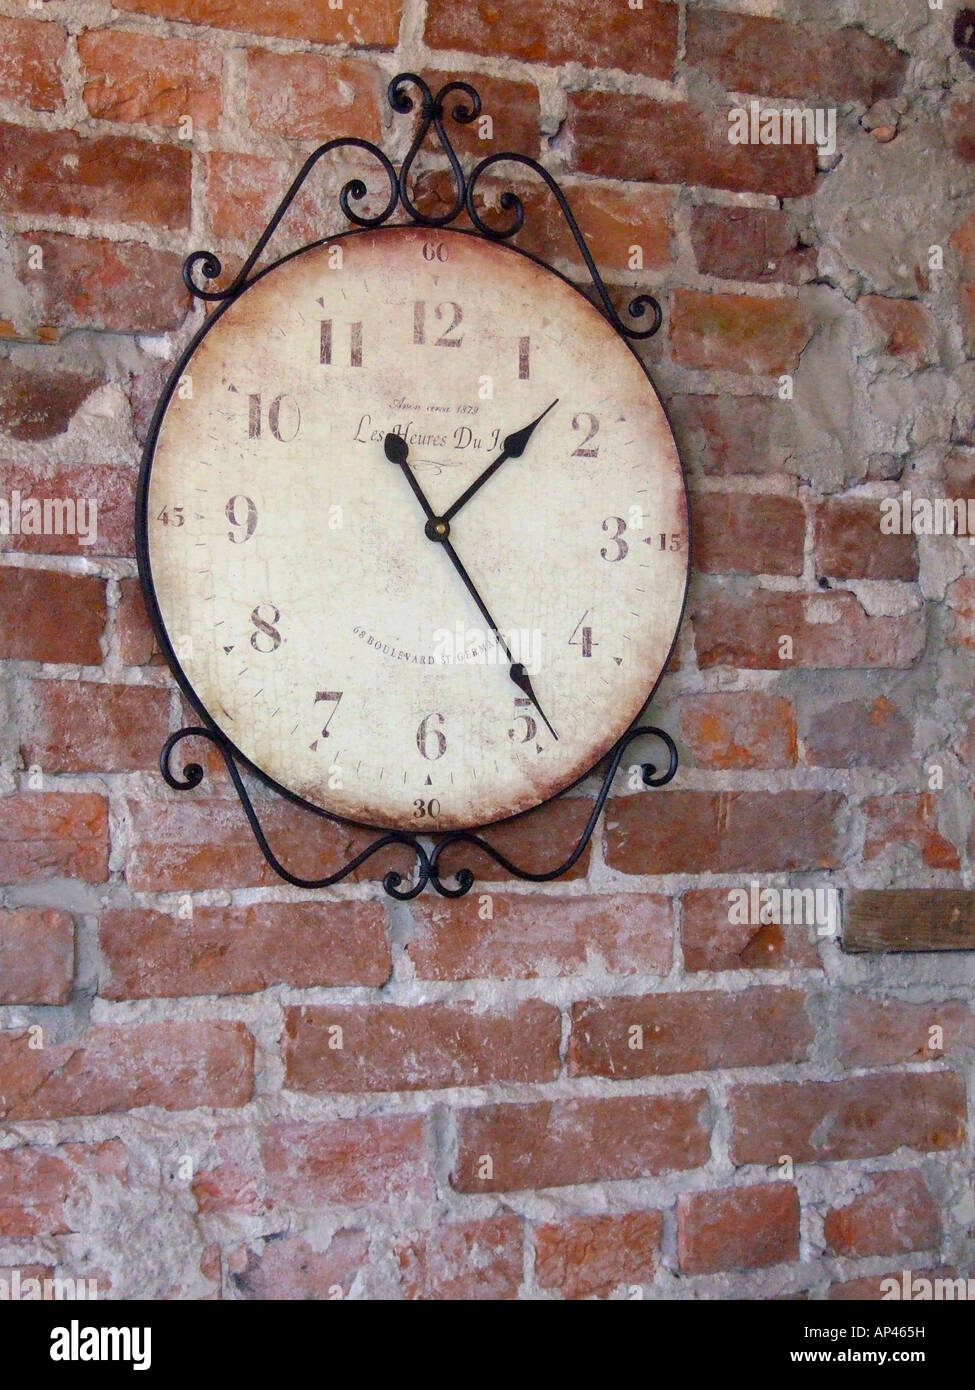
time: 1:24
